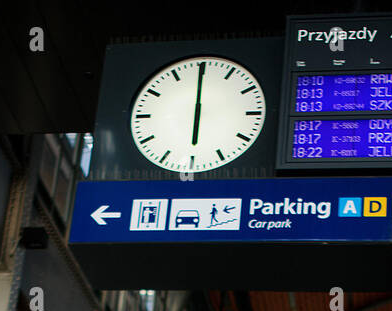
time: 5:59
